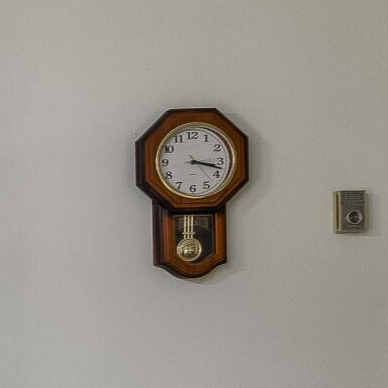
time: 3:17
